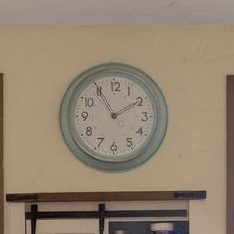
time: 1:55
